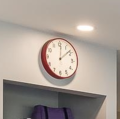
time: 12:08
